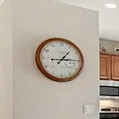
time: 1:14
